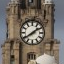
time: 1:39
